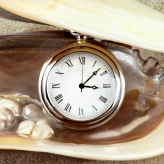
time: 3:07
